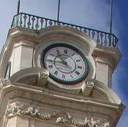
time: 10:43
